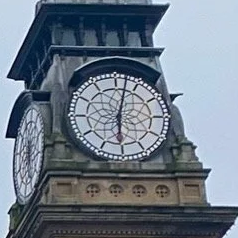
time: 6:02
